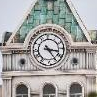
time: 3:24
